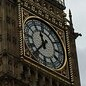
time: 11:36
